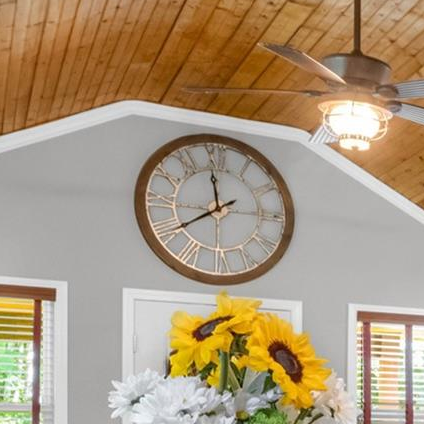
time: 11:39
